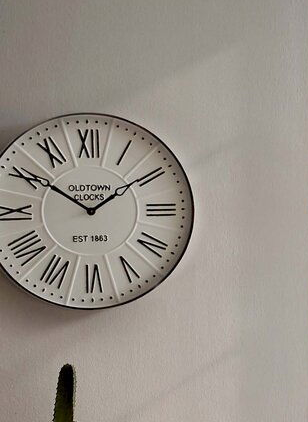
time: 1:50
